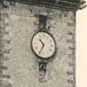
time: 10:34
